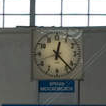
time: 12:22
